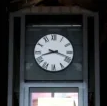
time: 8:18
